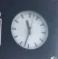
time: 11:32
